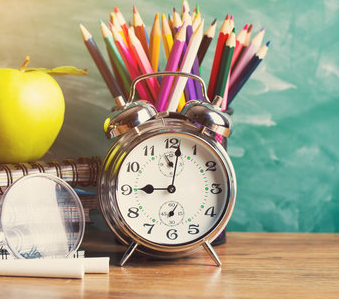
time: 9:01
